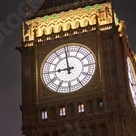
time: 8:58
